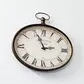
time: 2:56
